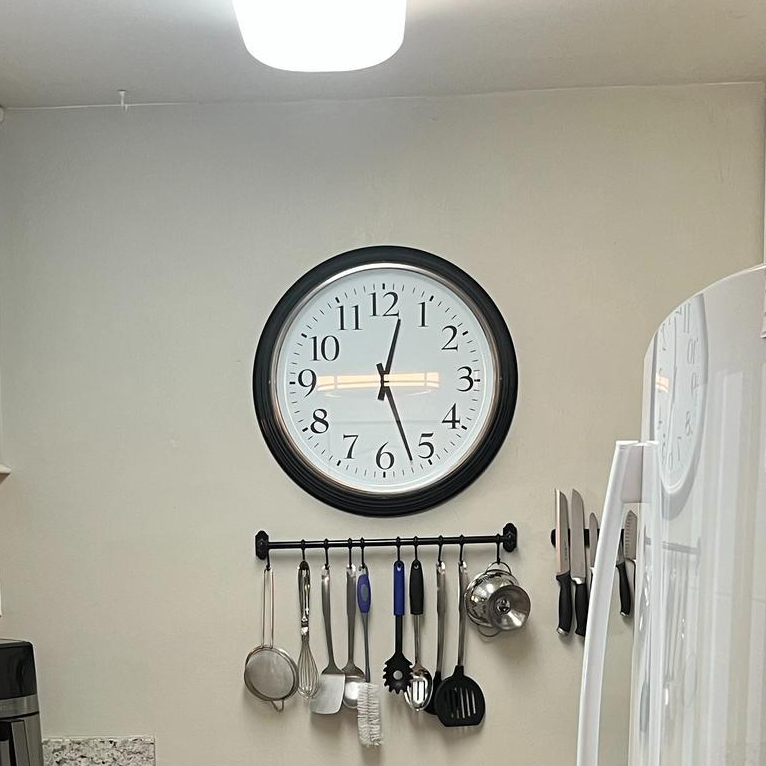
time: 12:26
